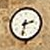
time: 2:32
